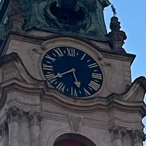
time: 5:38
